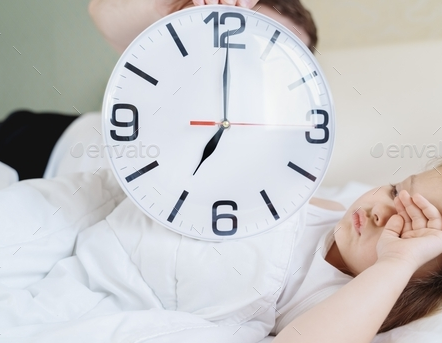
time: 7:00
